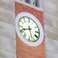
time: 5:41
